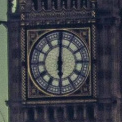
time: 6:00
